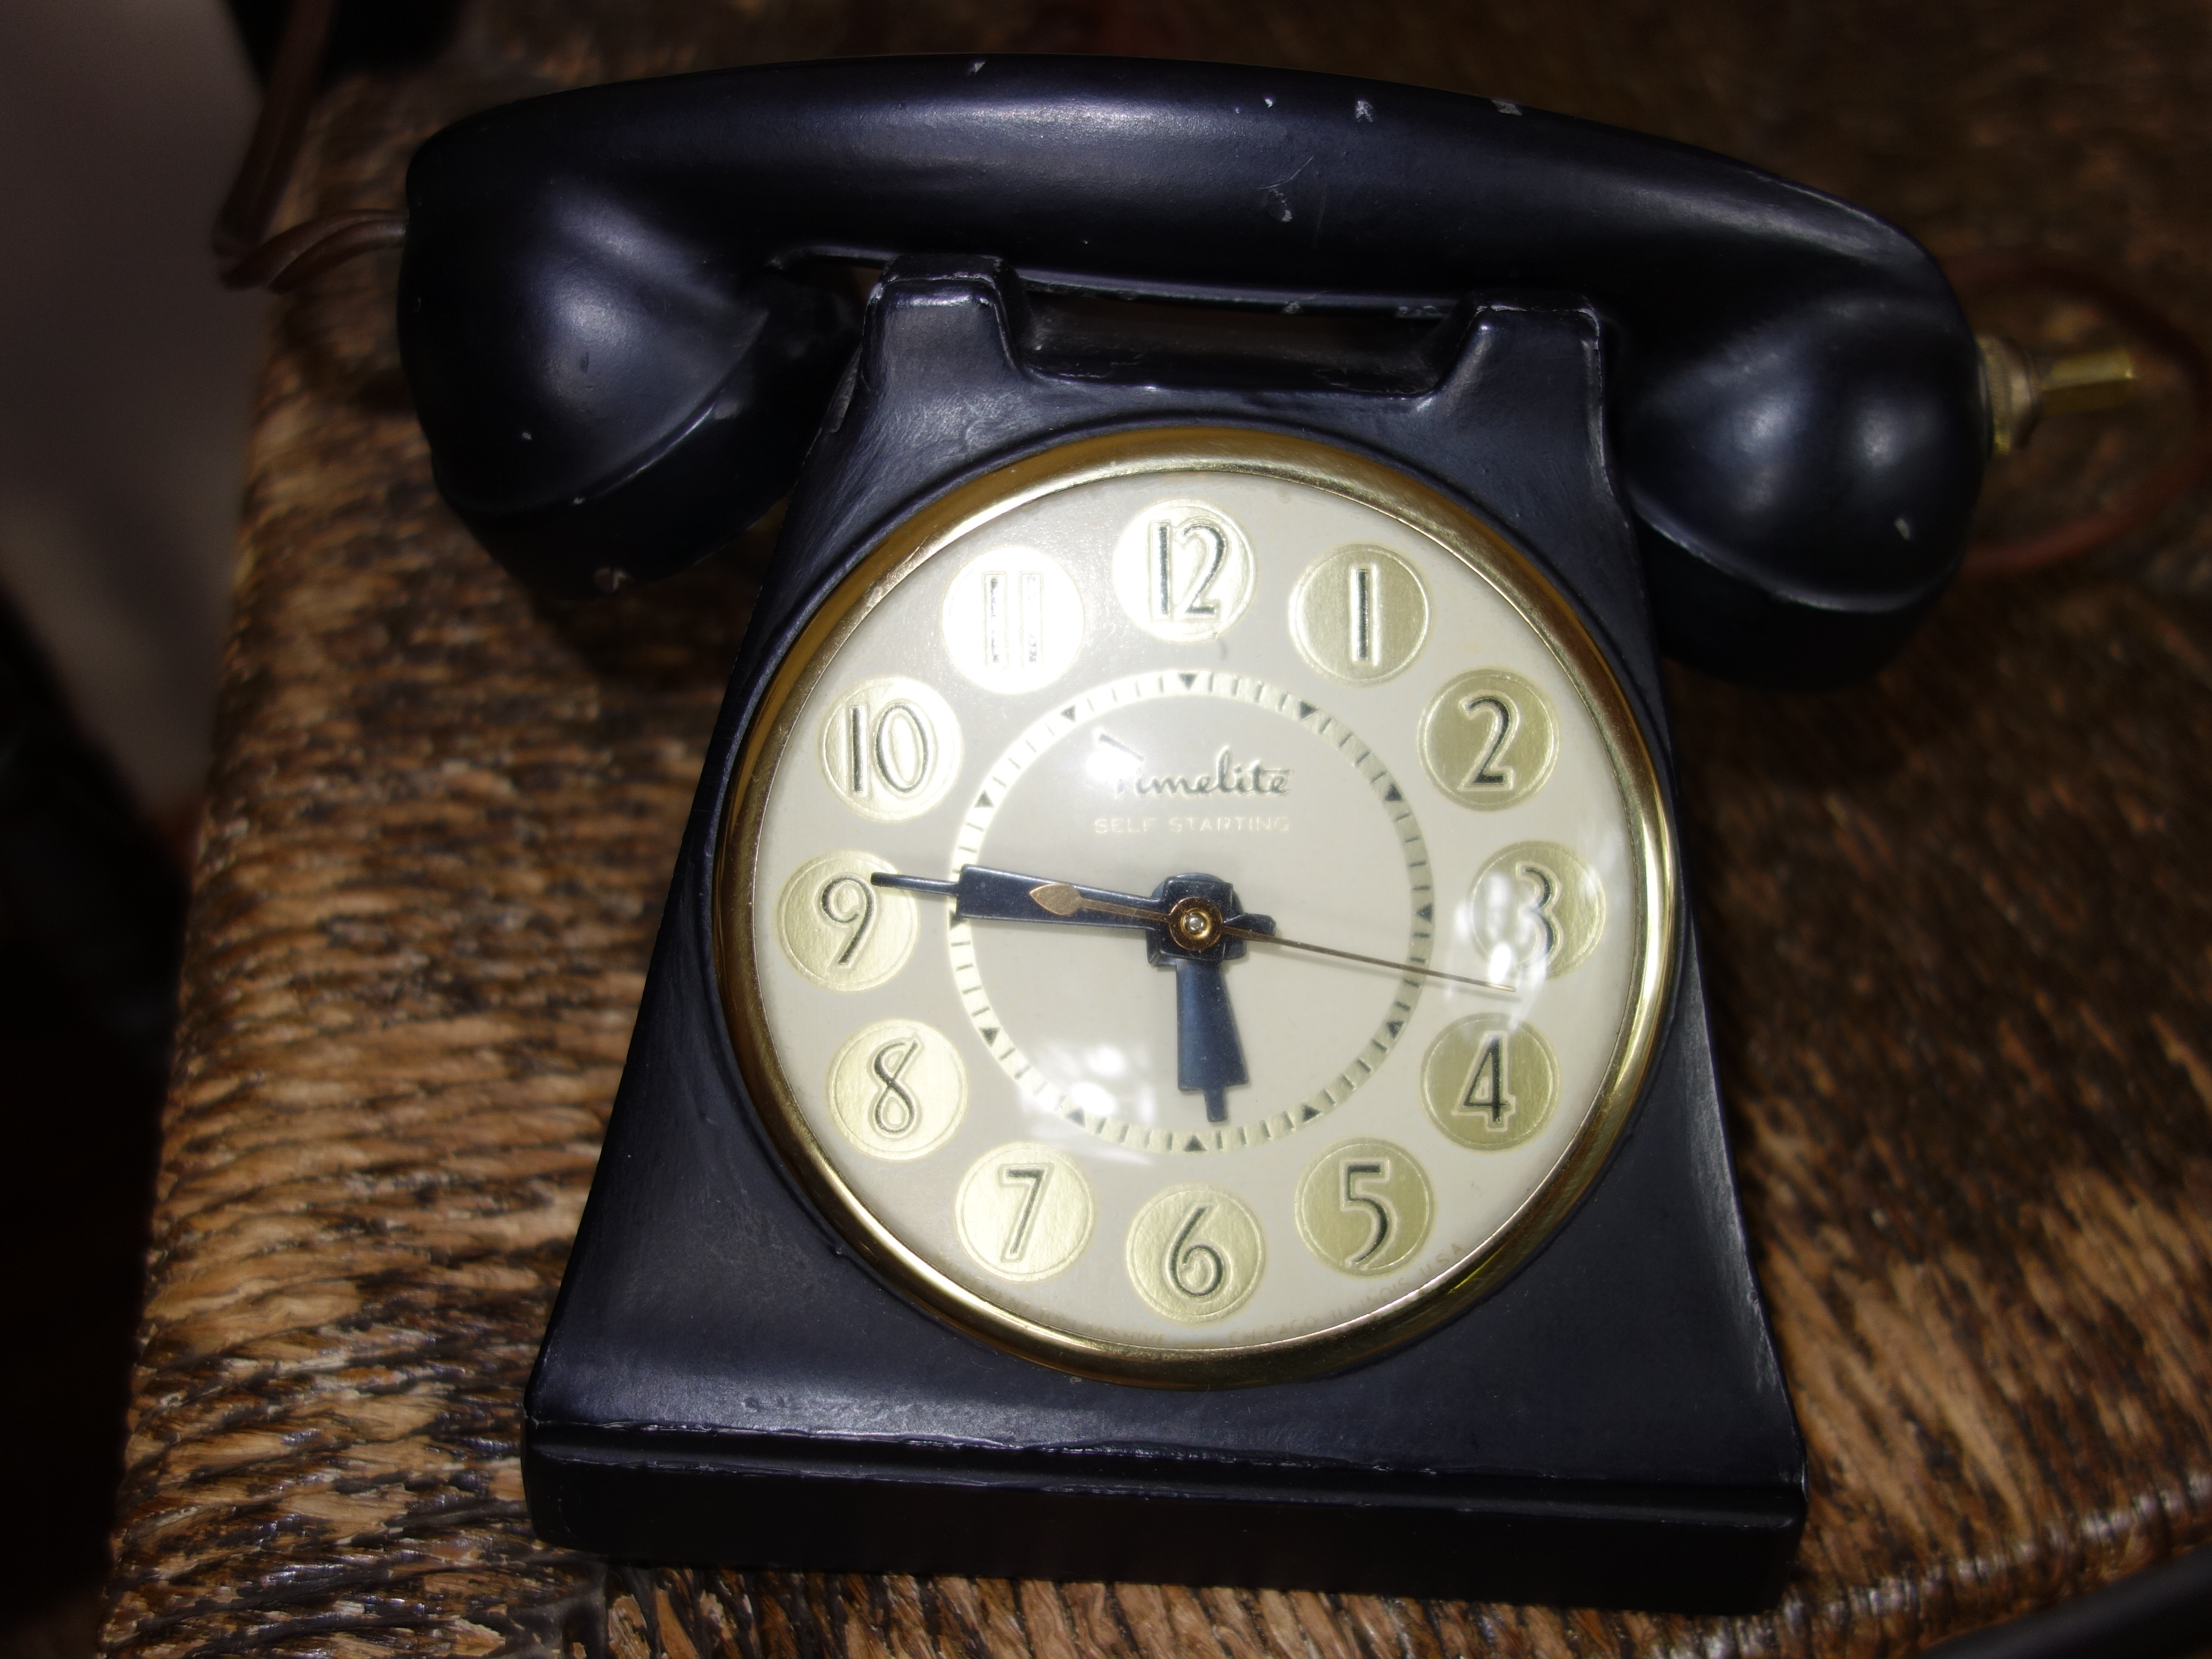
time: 5:46
